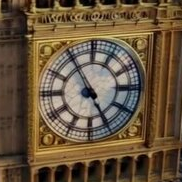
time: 4:54
